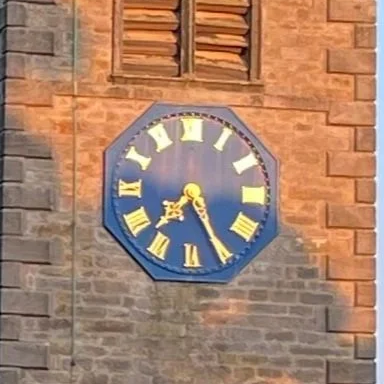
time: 7:25
